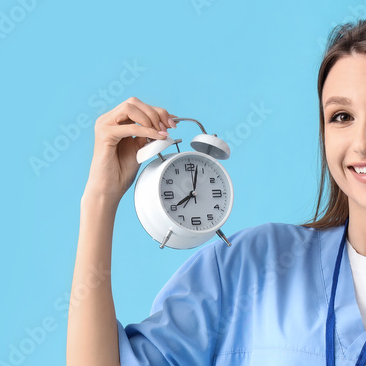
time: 8:02
